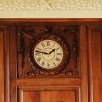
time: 1:46
